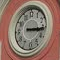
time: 3:15
